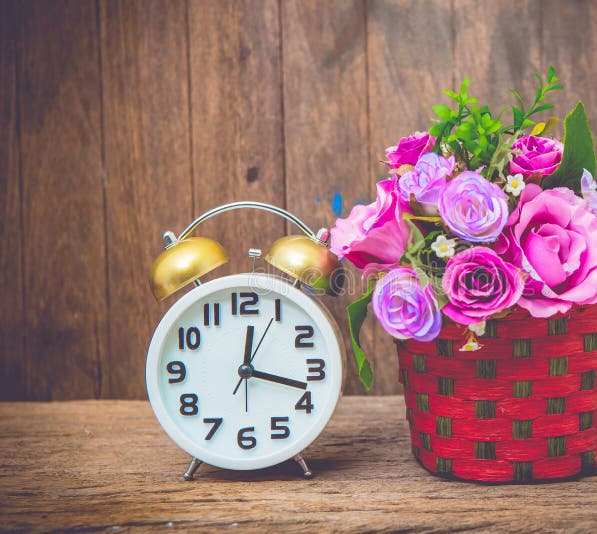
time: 12:17
